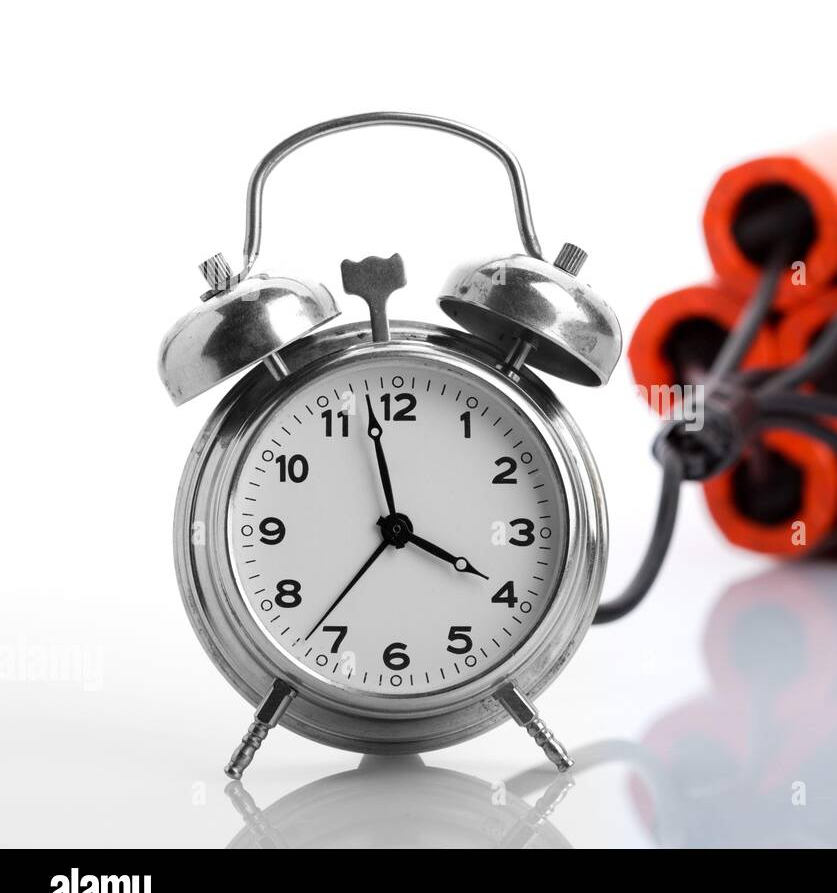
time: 3:58
